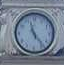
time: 11:23
